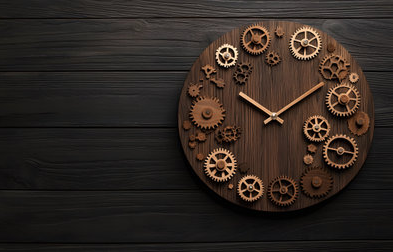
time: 10:07
